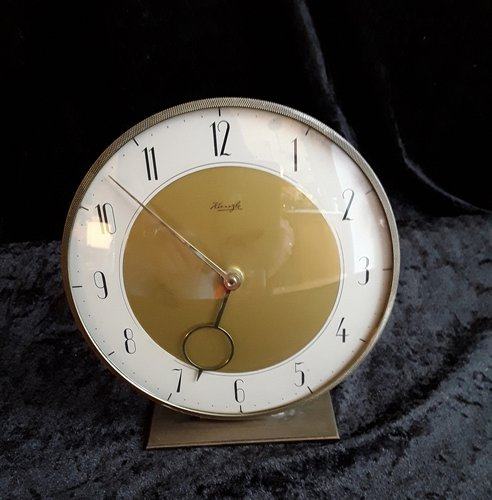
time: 6:51
